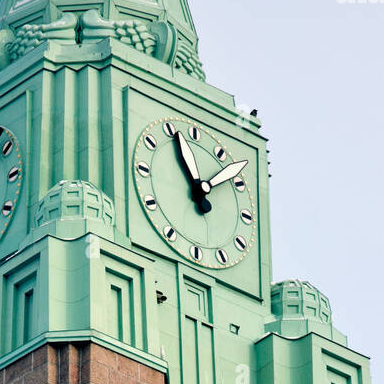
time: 10:56
